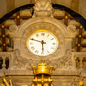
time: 5:48
